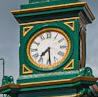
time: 7:29
